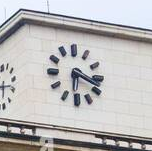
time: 6:18
